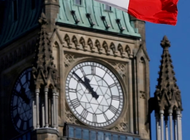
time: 10:51
